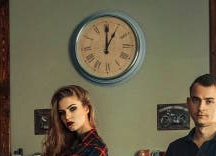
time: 1:00
